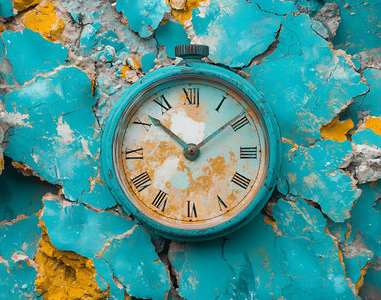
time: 1:52
